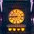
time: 8:45
